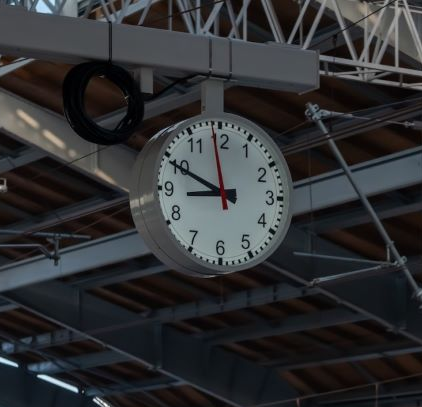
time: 8:49
